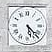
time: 5:22
